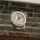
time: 6:58
